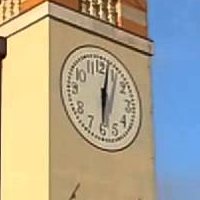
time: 6:02
